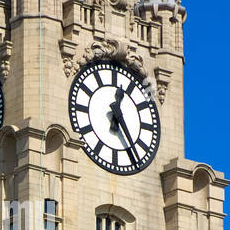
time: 12:24
